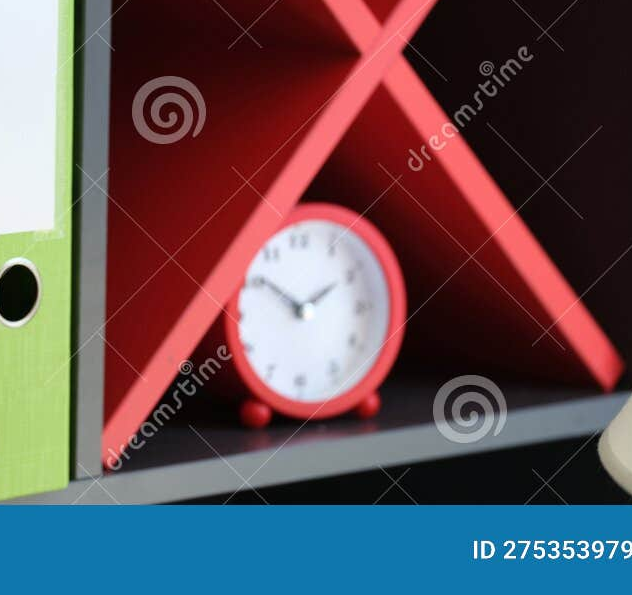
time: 1:51
